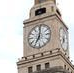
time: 7:01
